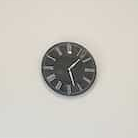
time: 1:27
